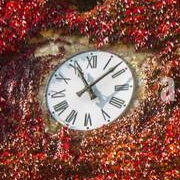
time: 11:08
